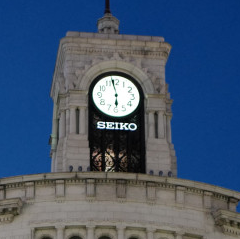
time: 5:58
